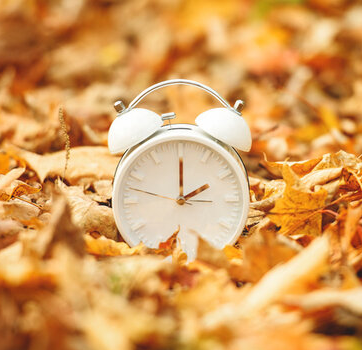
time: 2:00
